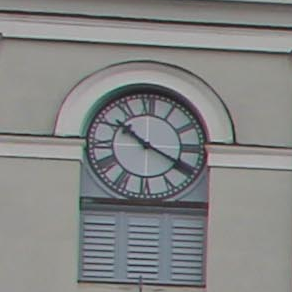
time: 10:19
